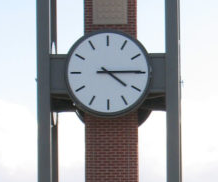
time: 4:14
